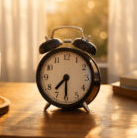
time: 7:30
